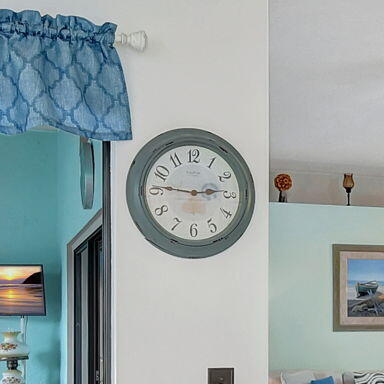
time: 2:46
